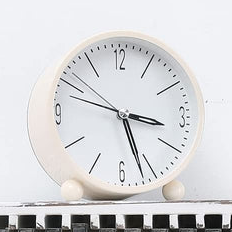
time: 3:26
